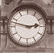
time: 2:47
